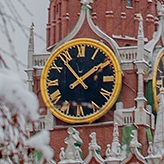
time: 1:53
